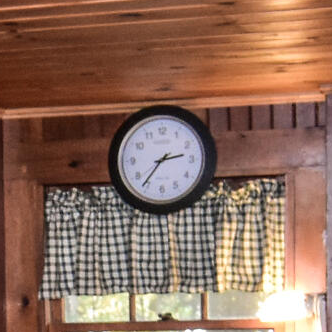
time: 2:36
